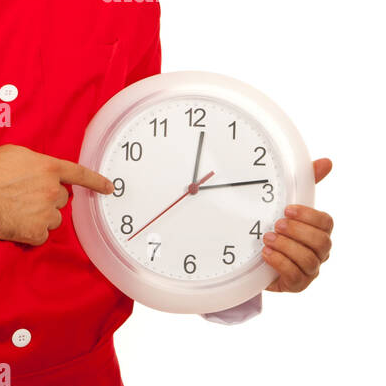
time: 12:13
